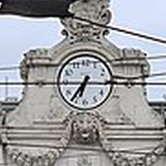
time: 7:15
